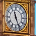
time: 11:25
